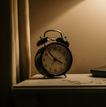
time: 3:53
